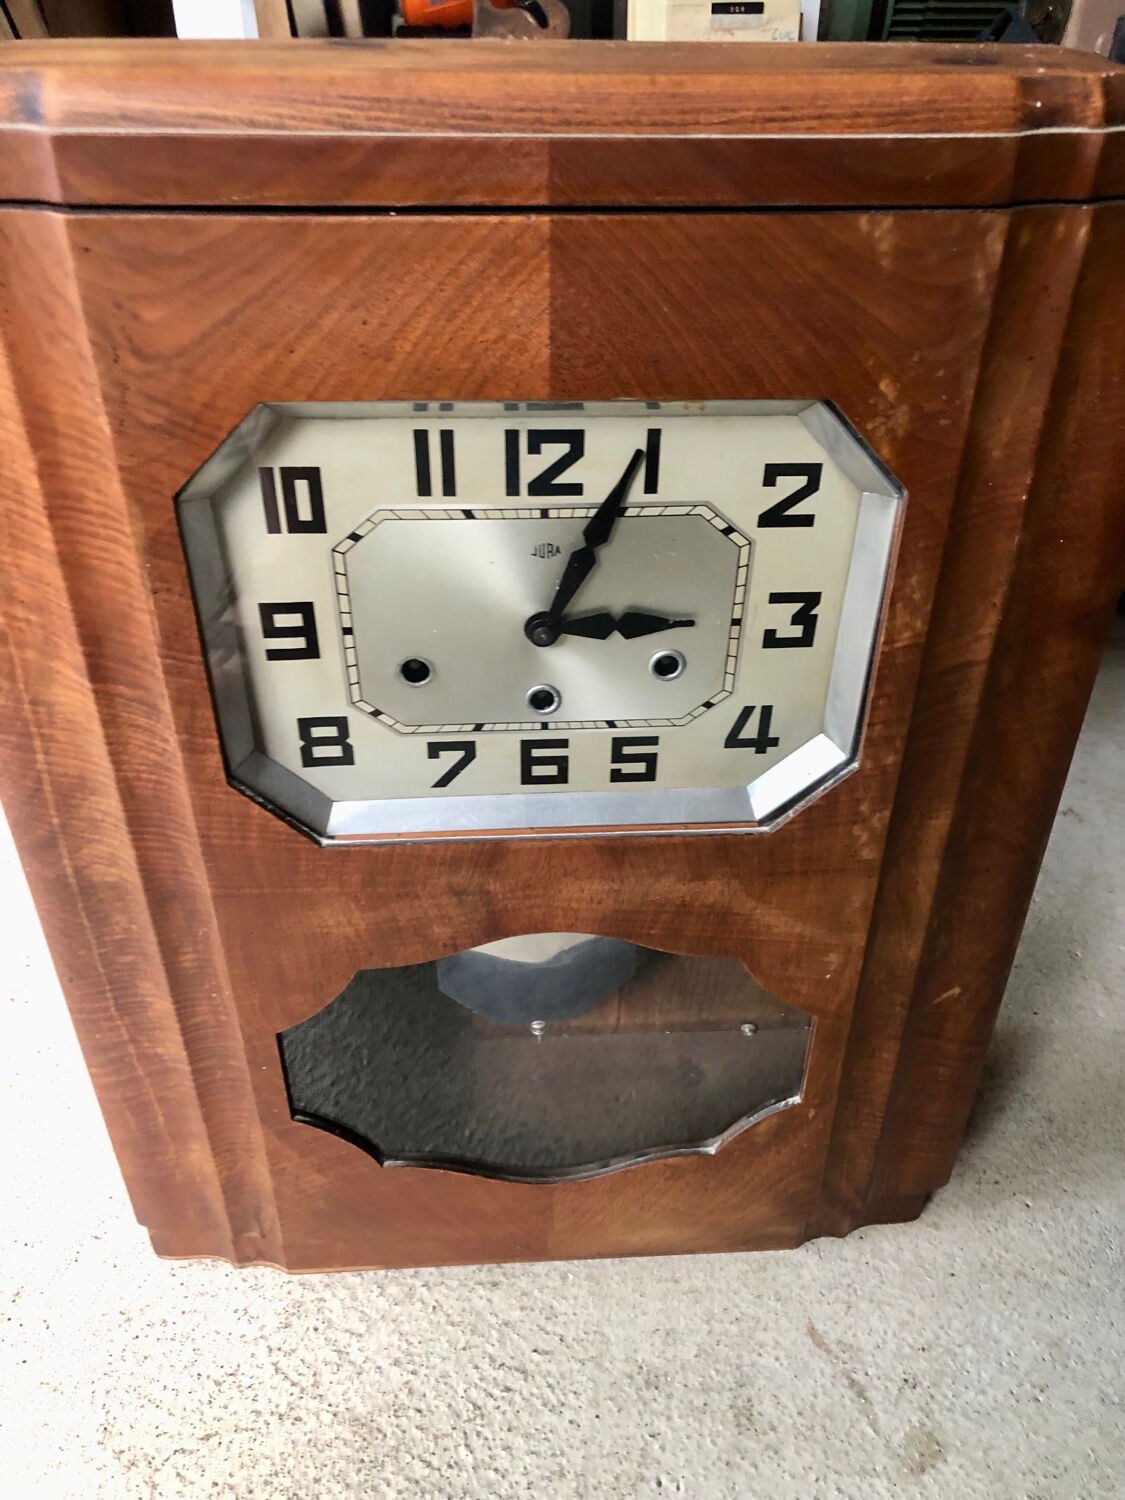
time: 3:04
